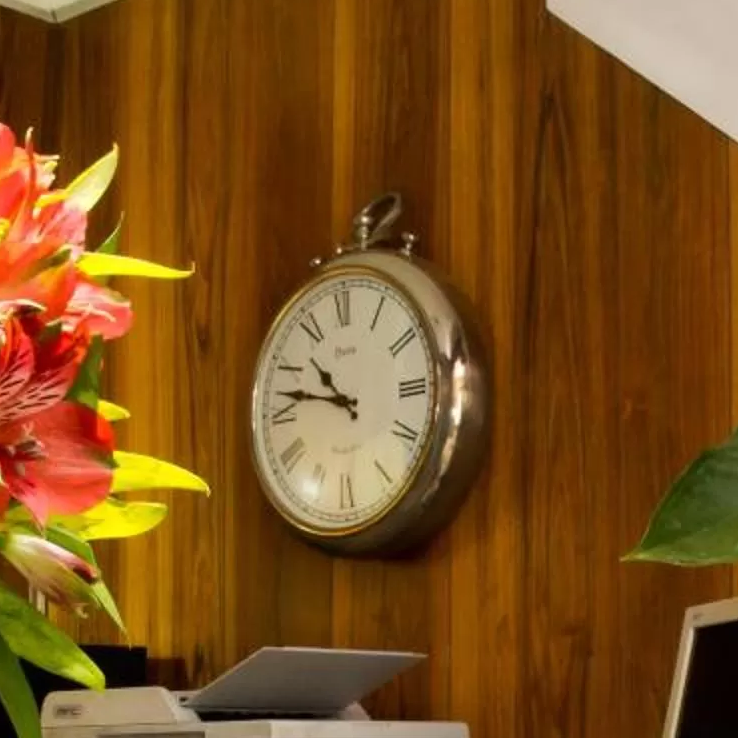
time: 10:47
